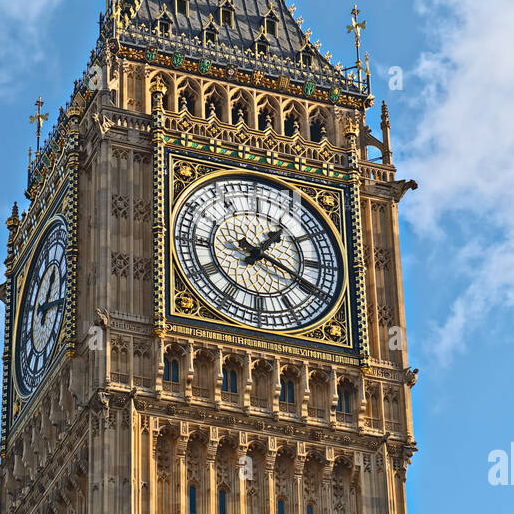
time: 1:18
